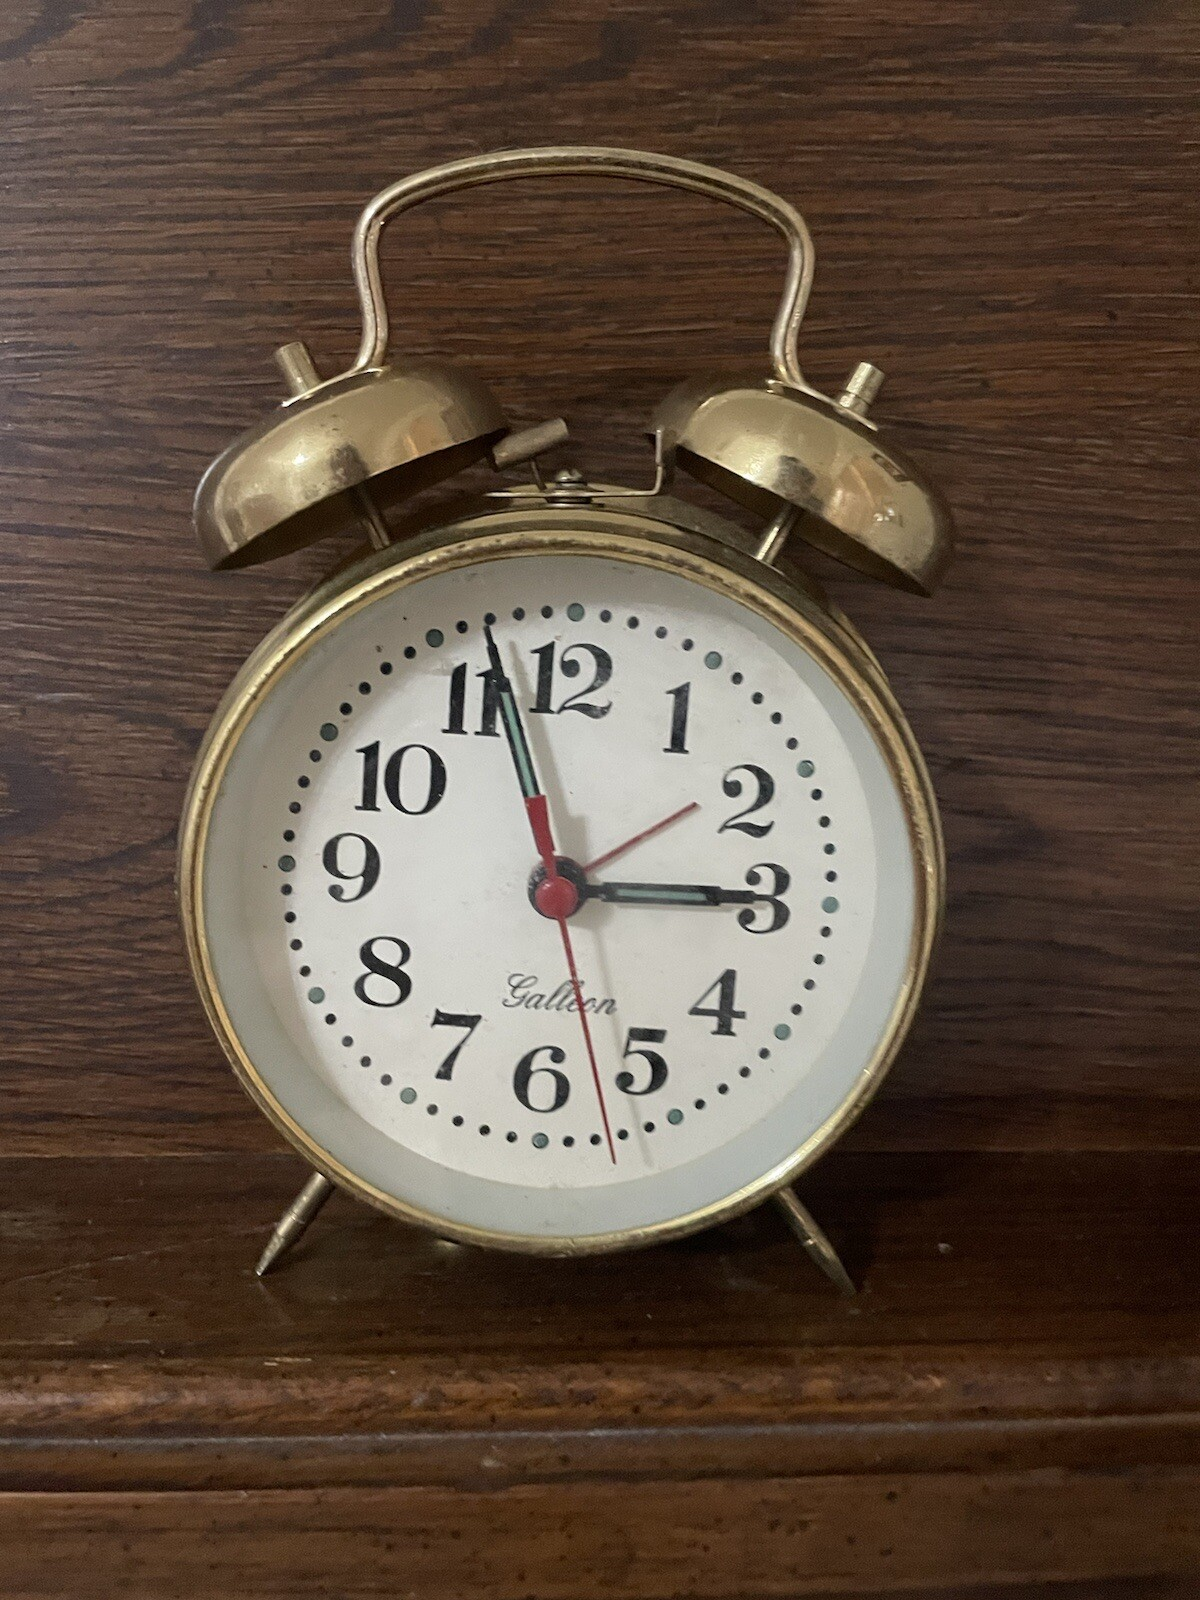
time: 2:56
